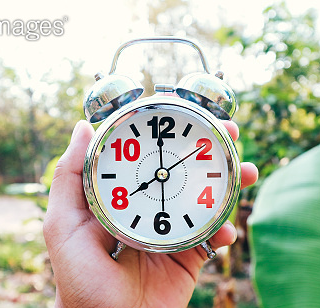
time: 7:59
